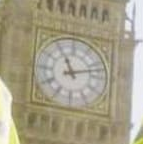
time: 11:12
